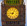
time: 9:05
